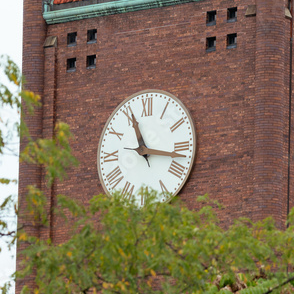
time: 11:16
